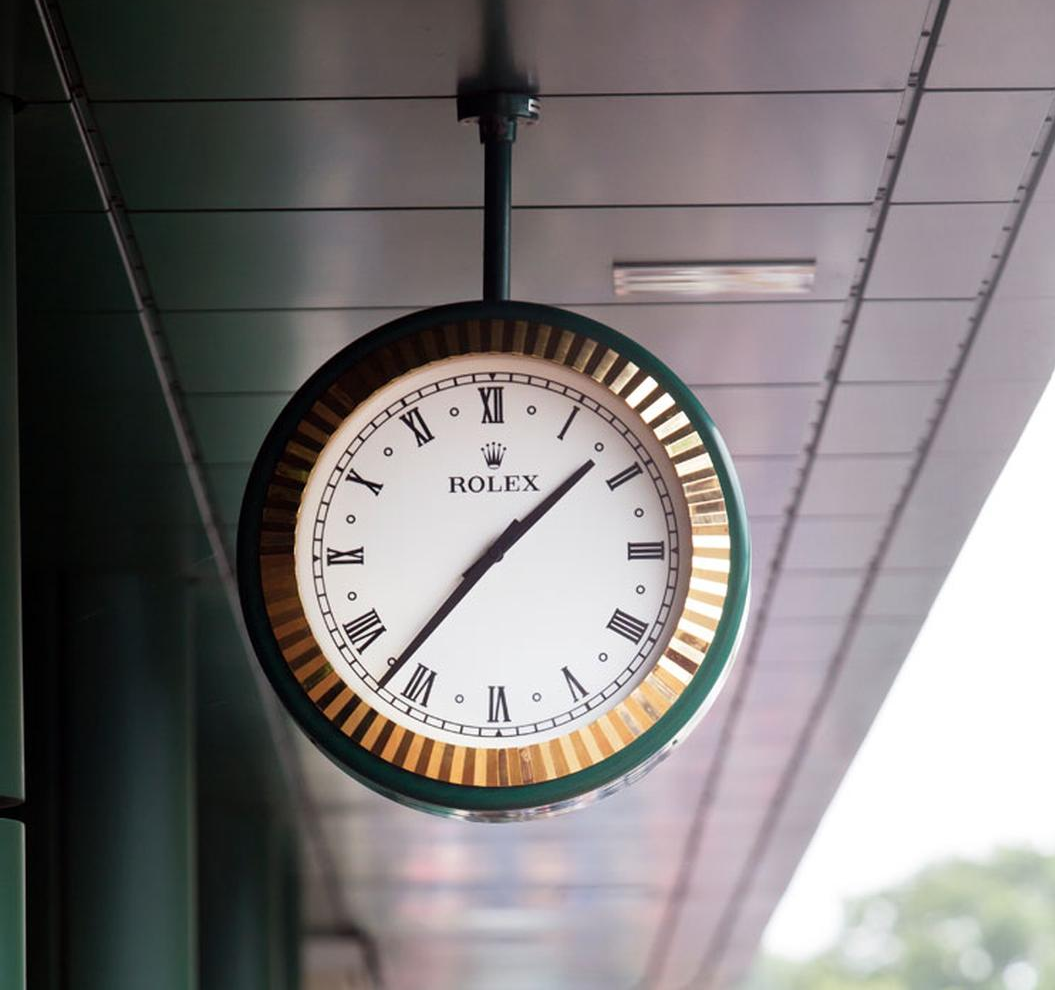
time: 1:36
